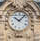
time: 10:07
